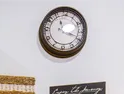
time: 11:18
